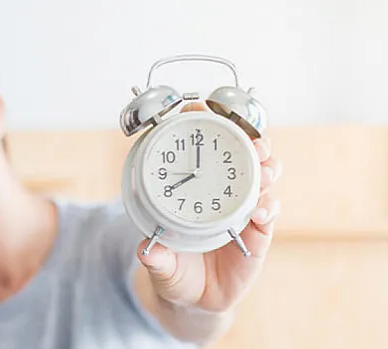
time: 8:00
